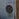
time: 4:07
